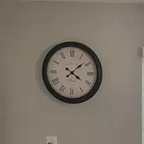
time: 4:08
